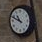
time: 10:48
